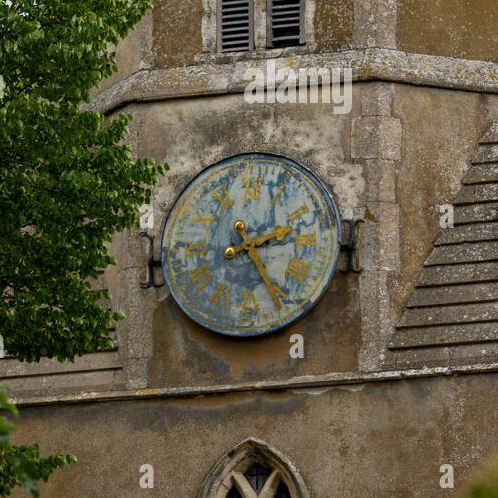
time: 2:23
